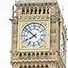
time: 7:51
